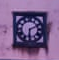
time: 6:10
